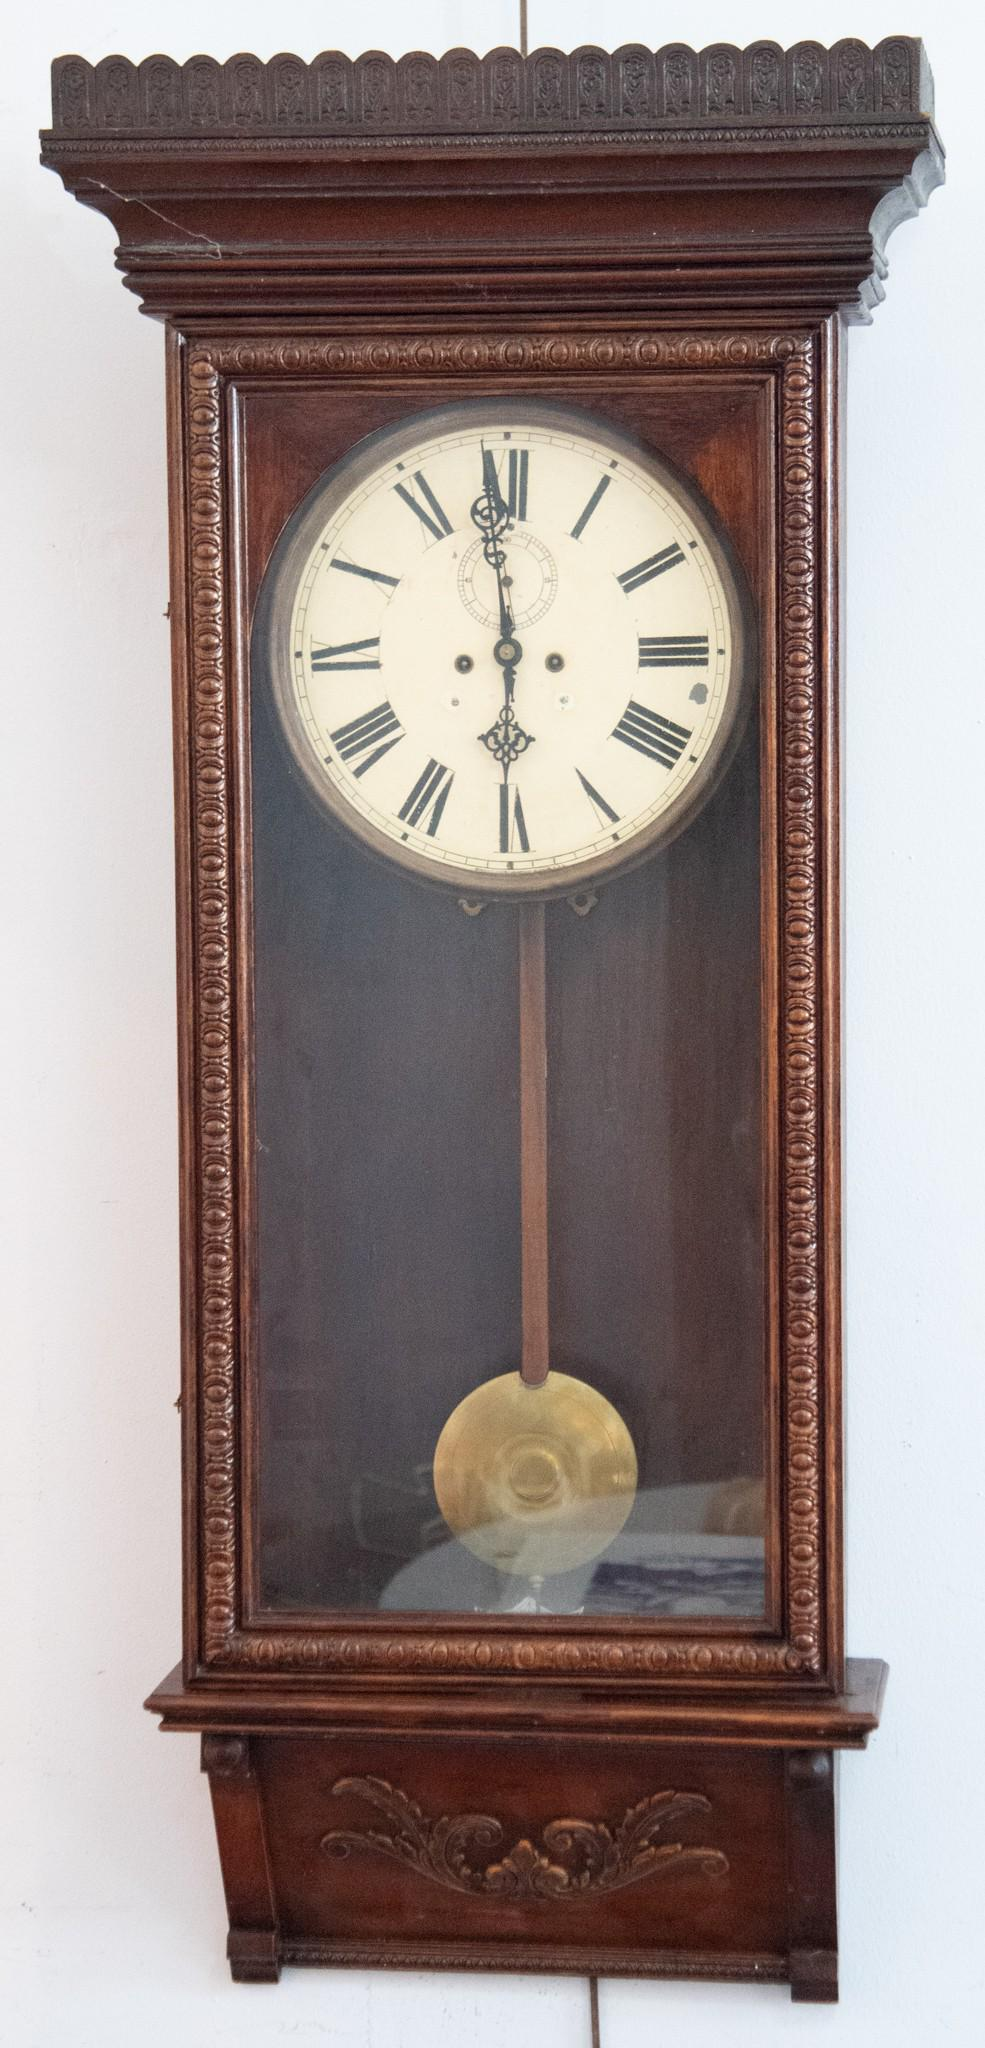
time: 5:59
